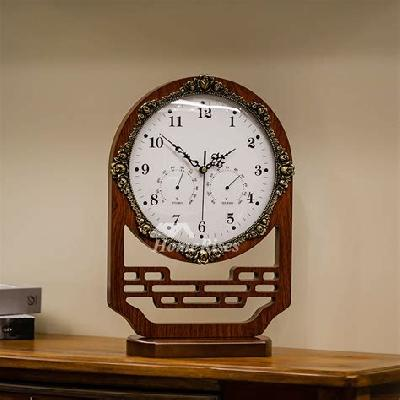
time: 1:51
